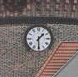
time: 1:30
